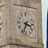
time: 3:34
